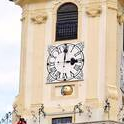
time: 3:00
